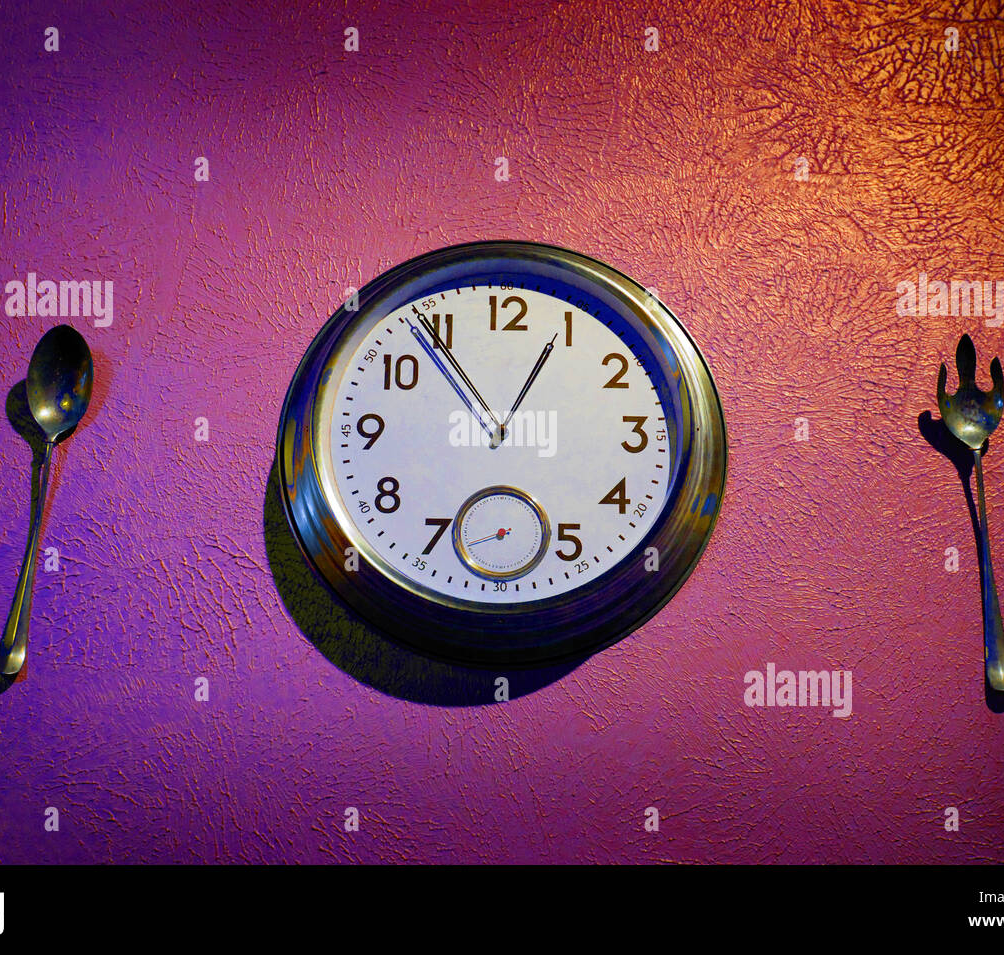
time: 12:54
